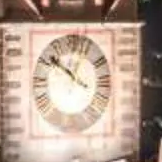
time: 3:51
